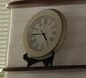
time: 4:45
